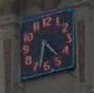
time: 4:33
